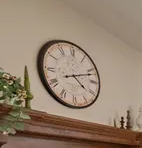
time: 4:11
